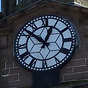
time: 12:52
